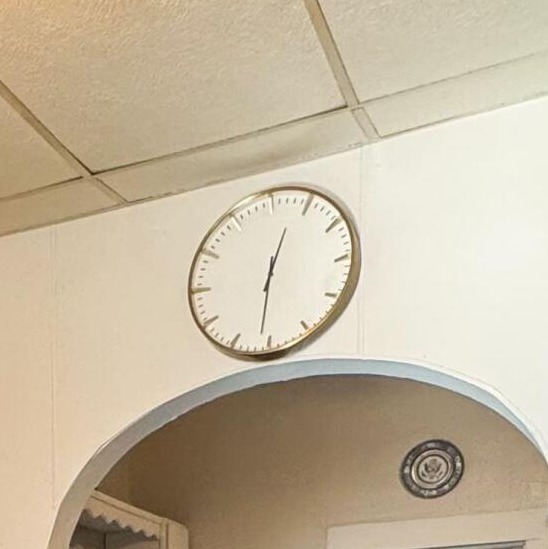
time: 12:31
